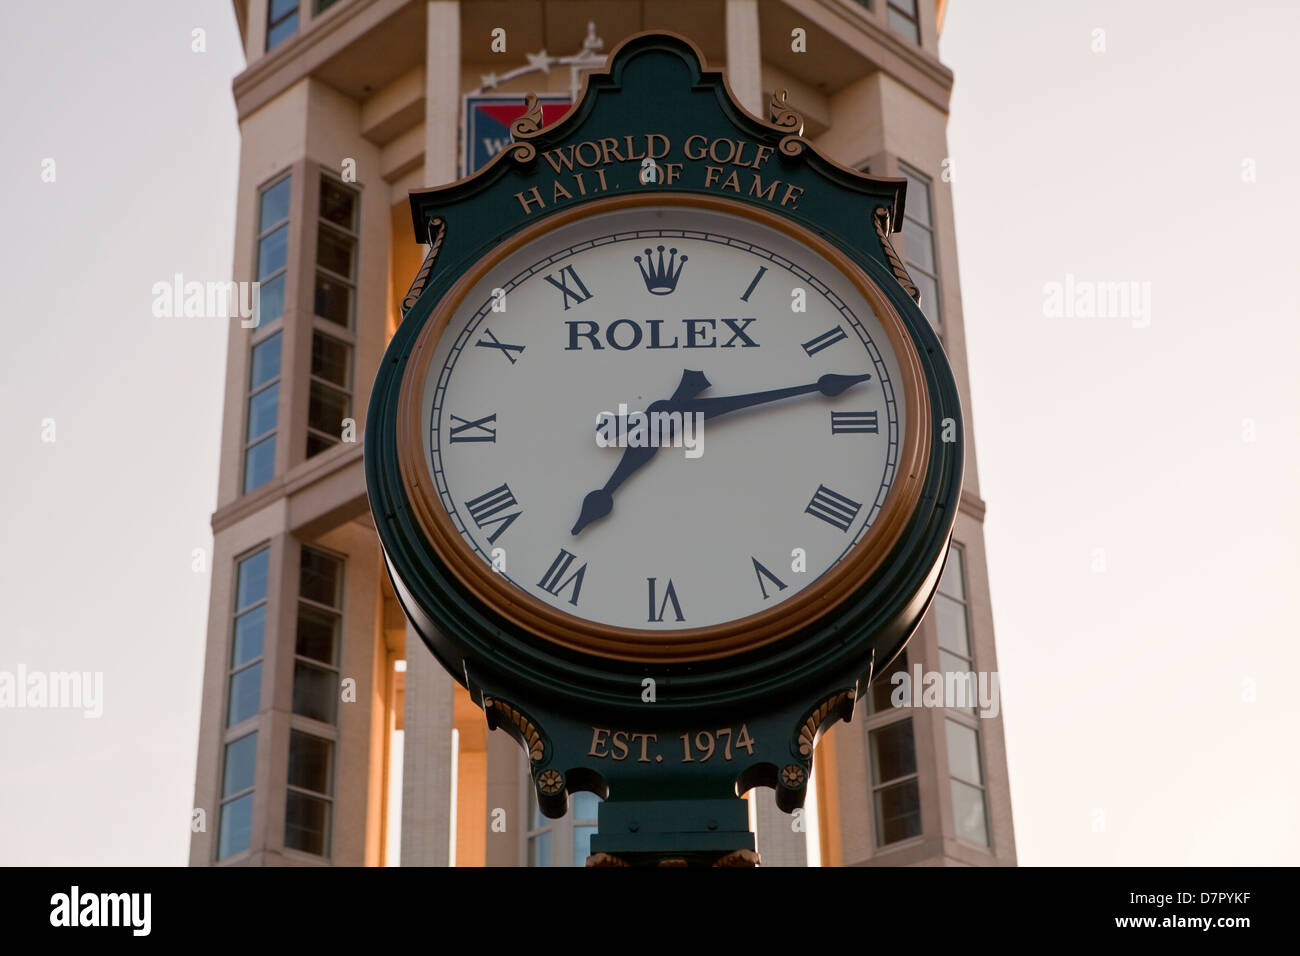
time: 7:12
